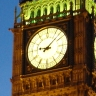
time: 9:07
